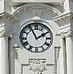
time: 1:55
